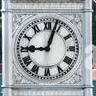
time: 9:03
